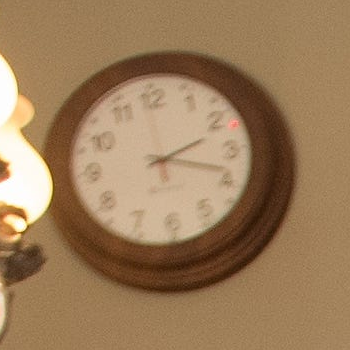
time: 2:18
